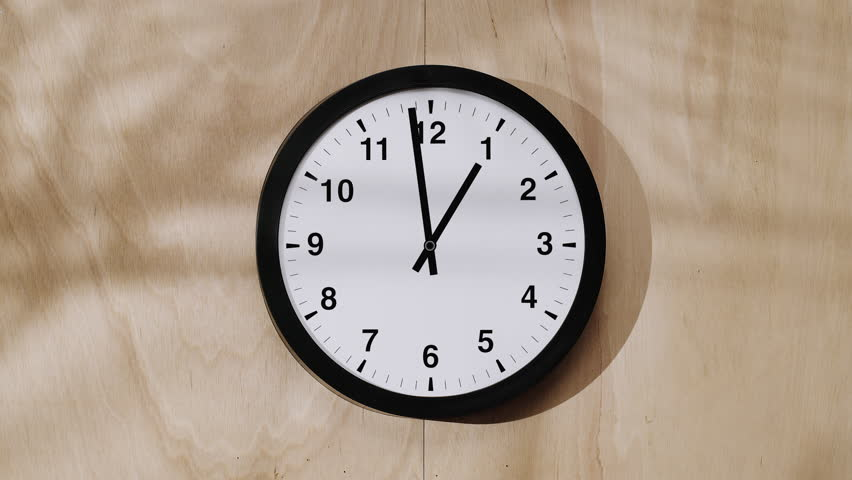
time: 12:58
